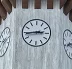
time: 2:44
